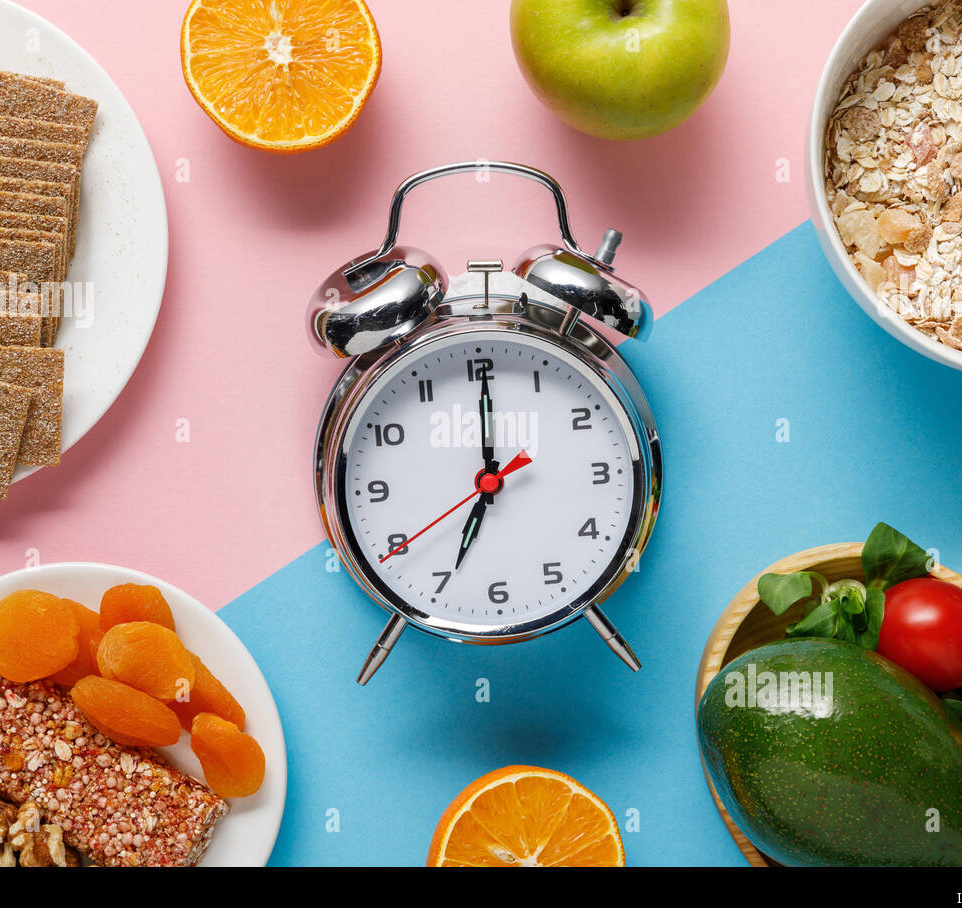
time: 7:00
